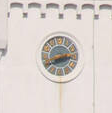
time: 2:40
